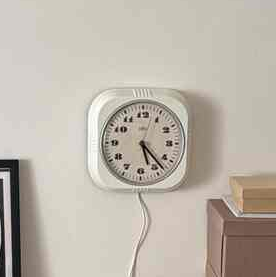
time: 5:23
